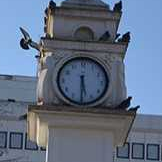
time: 5:30
